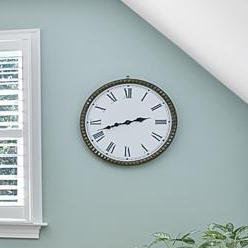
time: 2:42
